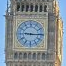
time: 9:15
